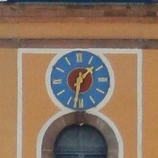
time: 1:32
